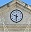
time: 9:31
